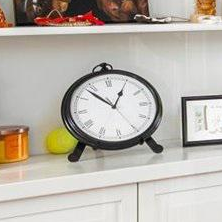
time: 12:53
